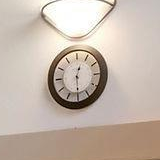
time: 12:29
